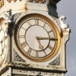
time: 5:14
